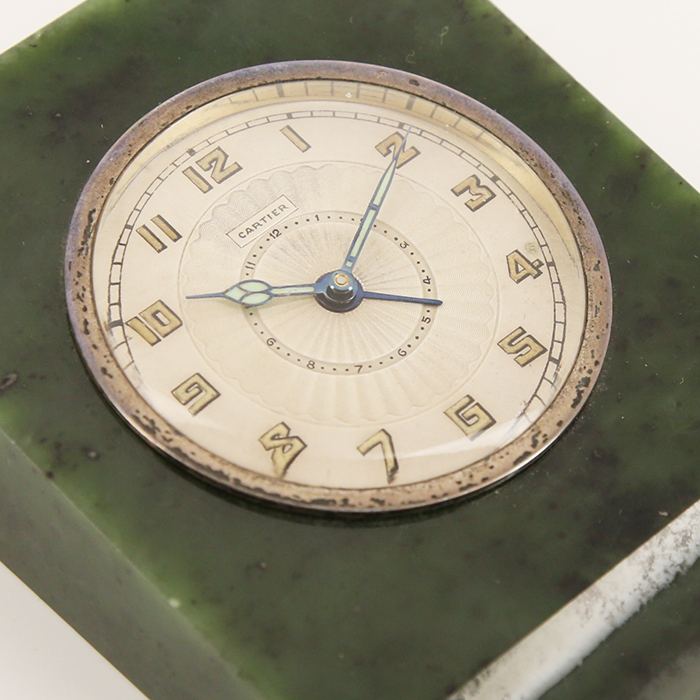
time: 9:04
